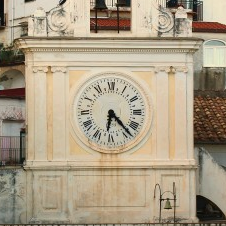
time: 6:23
